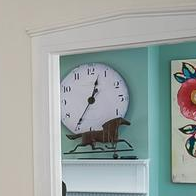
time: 12:35
